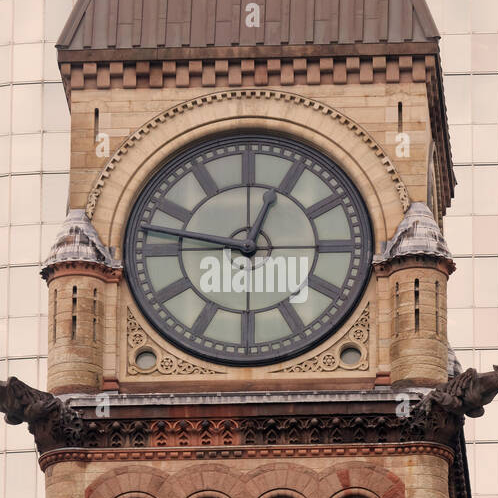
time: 12:47
